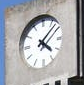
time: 4:07
